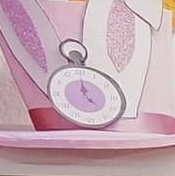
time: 5:00
